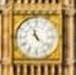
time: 11:22
